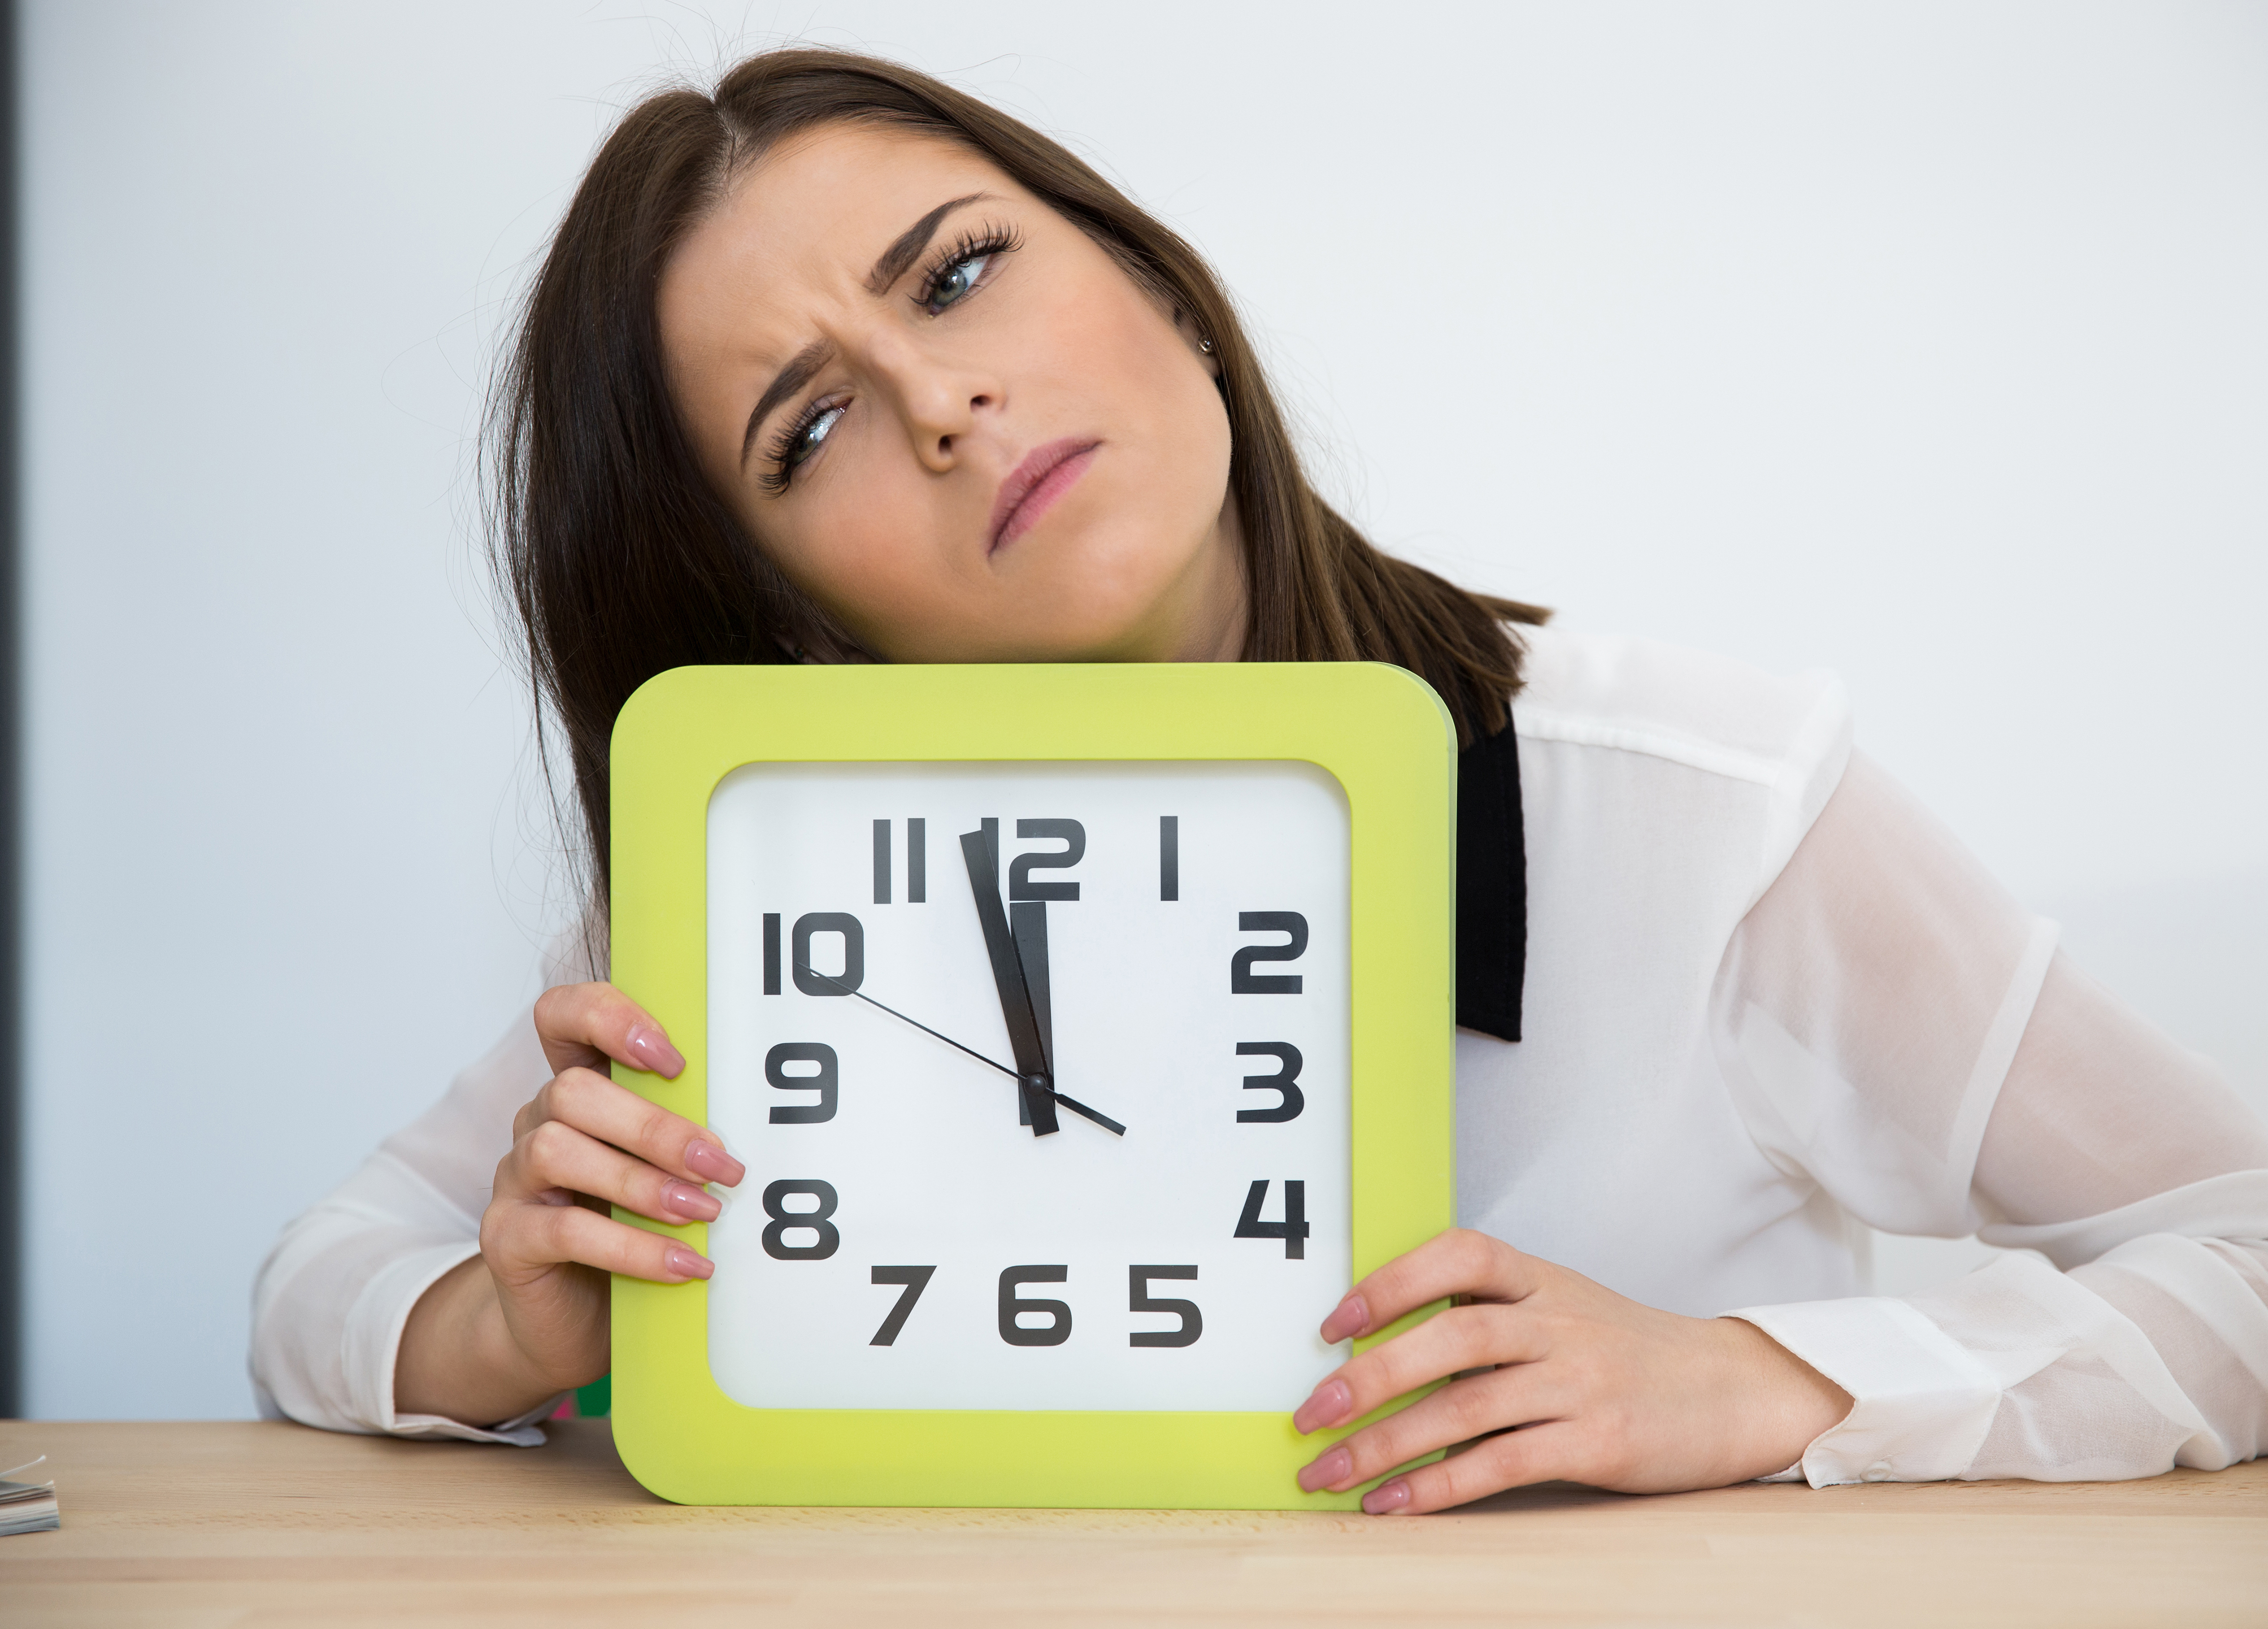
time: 11:57
